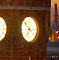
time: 6:52
